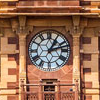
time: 1:12
